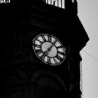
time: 7:05
